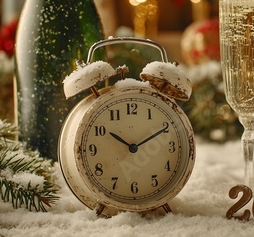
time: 10:10
